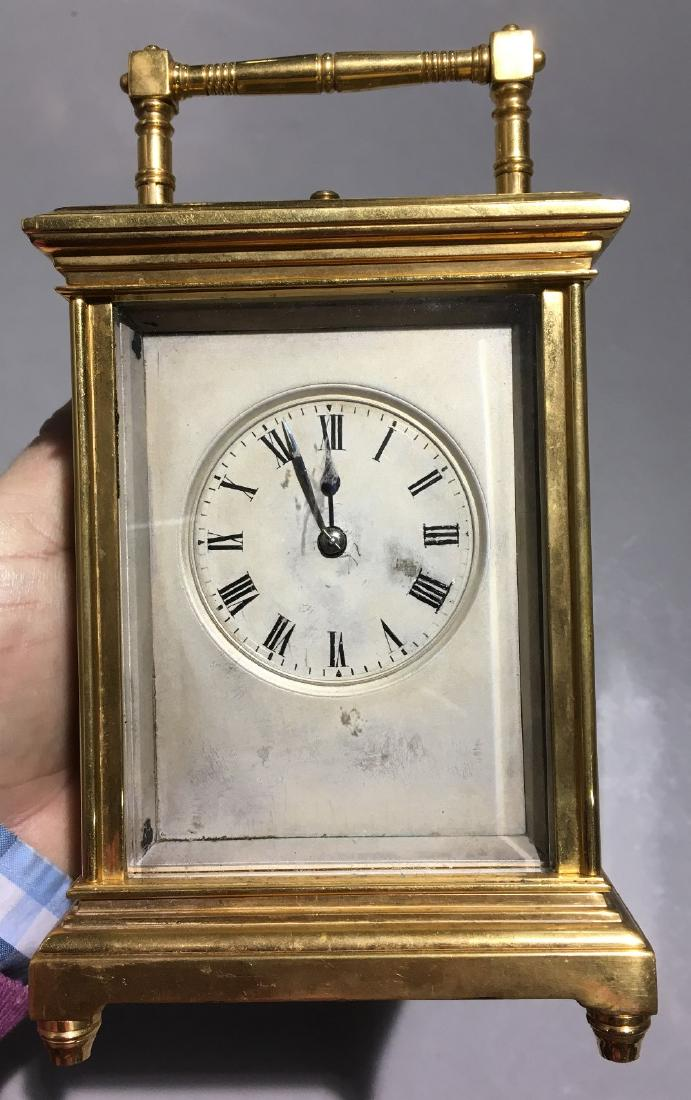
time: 11:55
